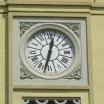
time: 12:32
